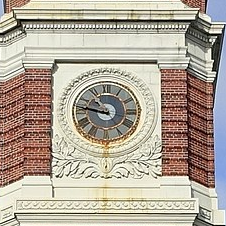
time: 10:46
